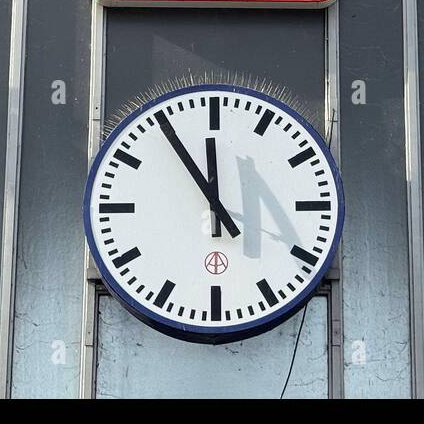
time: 11:54
